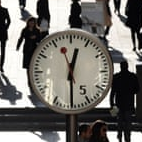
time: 12:29
